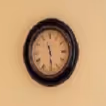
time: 11:28
